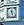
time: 11:28
